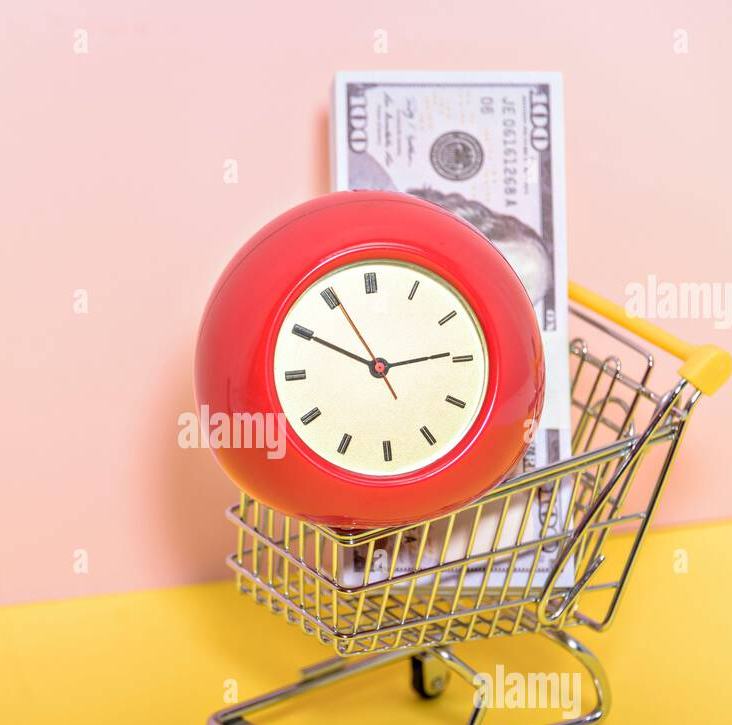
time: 2:49
